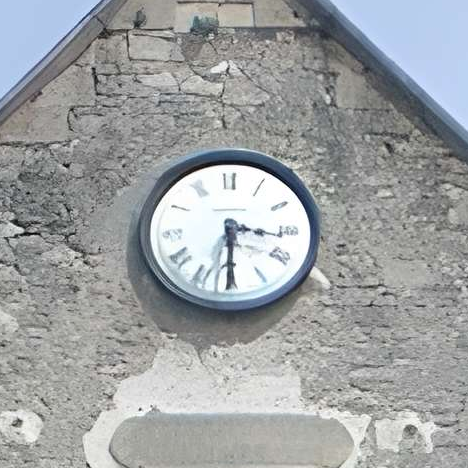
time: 3:29
